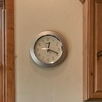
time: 12:18
